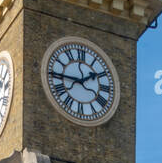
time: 1:44
